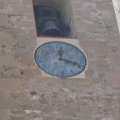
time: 12:18
